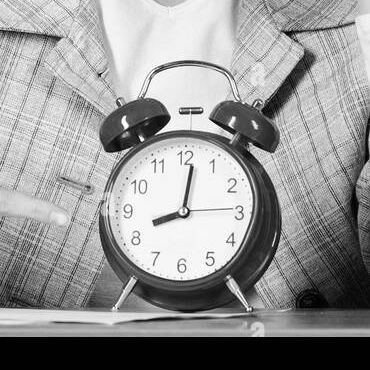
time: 8:01
